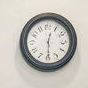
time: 12:29
